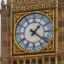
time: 1:21
